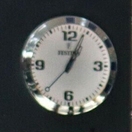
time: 1:04
